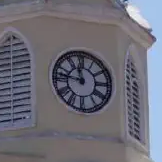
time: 11:46
